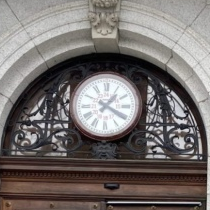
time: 1:20
